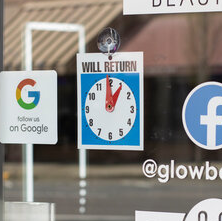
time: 12:59
